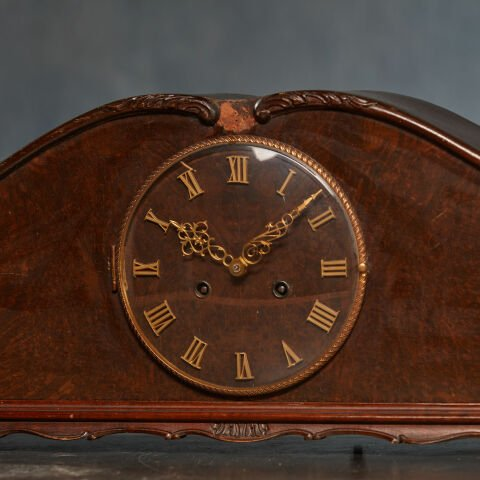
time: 10:07
